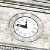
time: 11:46
